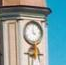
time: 3:58
